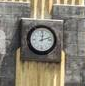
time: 12:12
